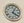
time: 4:04
